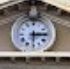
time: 6:14
